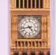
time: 4:43
